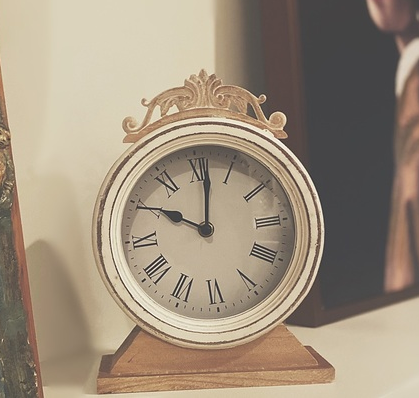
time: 10:01
